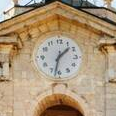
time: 1:32
